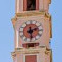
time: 2:29
